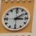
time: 3:08
